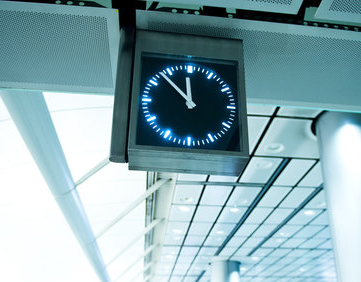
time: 11:52
